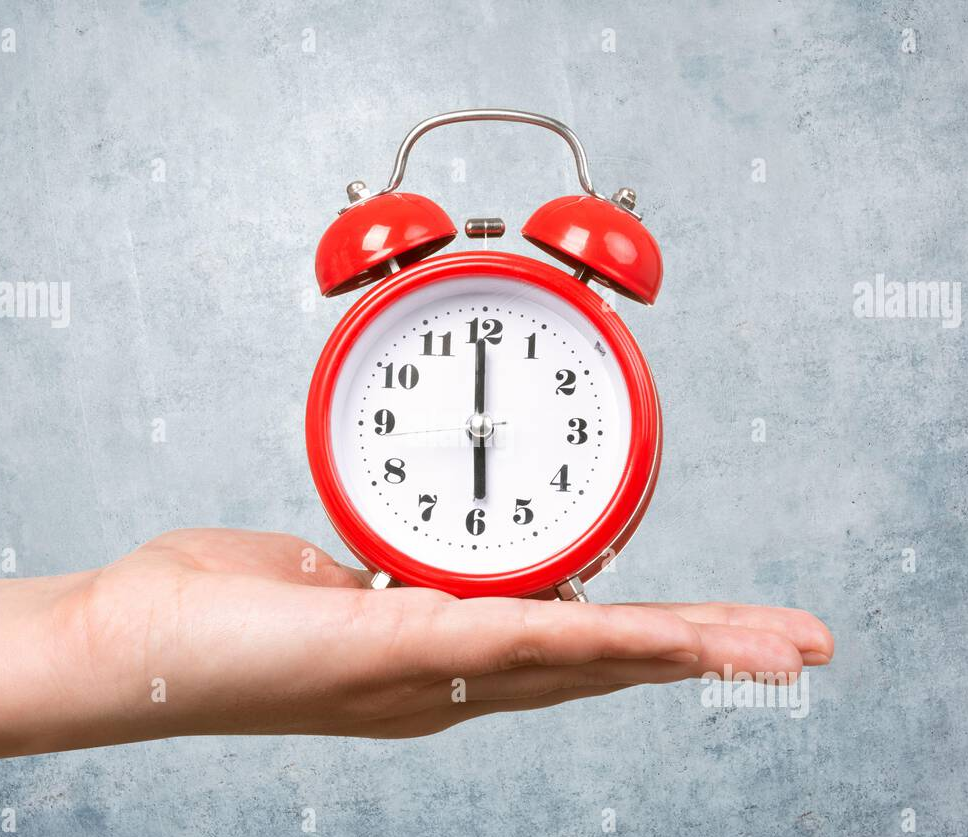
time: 5:59
